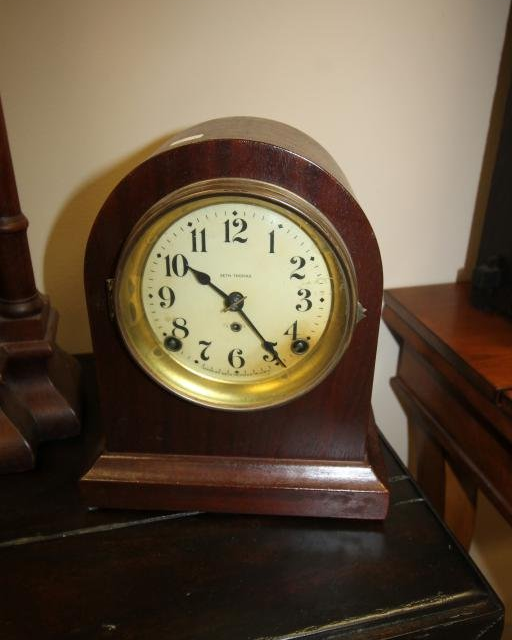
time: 10:23
